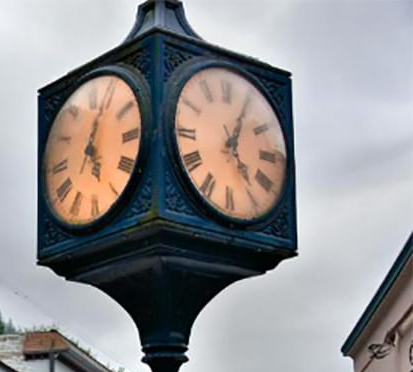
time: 5:04
